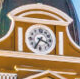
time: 3:35
